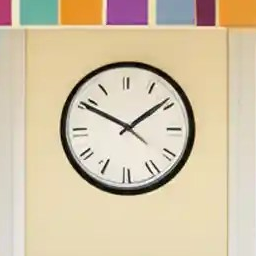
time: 1:50
